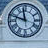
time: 11:47
